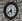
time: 5:40
